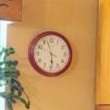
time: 5:57
